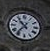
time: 10:36
